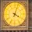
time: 4:03
